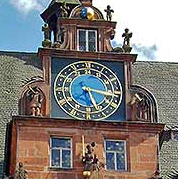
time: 5:16
